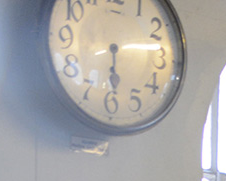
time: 6:13
